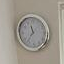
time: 11:36
